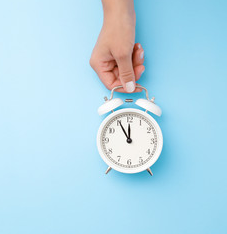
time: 11:55
